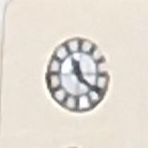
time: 11:21
